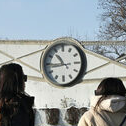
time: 10:44
